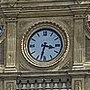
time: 3:32
